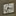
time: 7:17
